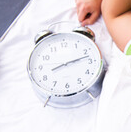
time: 8:12
